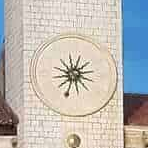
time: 1:33
